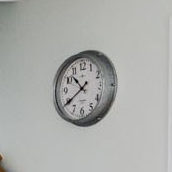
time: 10:39
